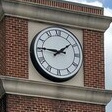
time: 1:46
